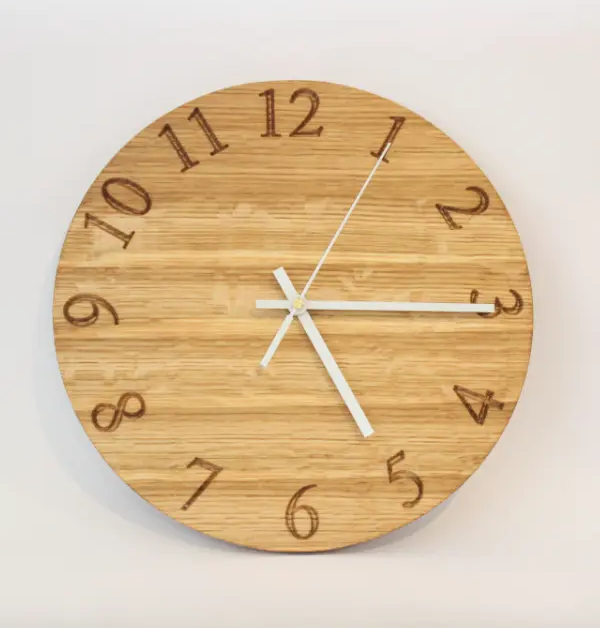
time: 5:15
